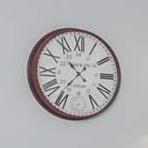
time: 10:36
